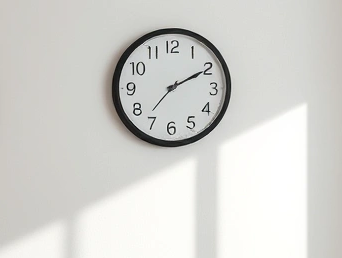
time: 2:10
